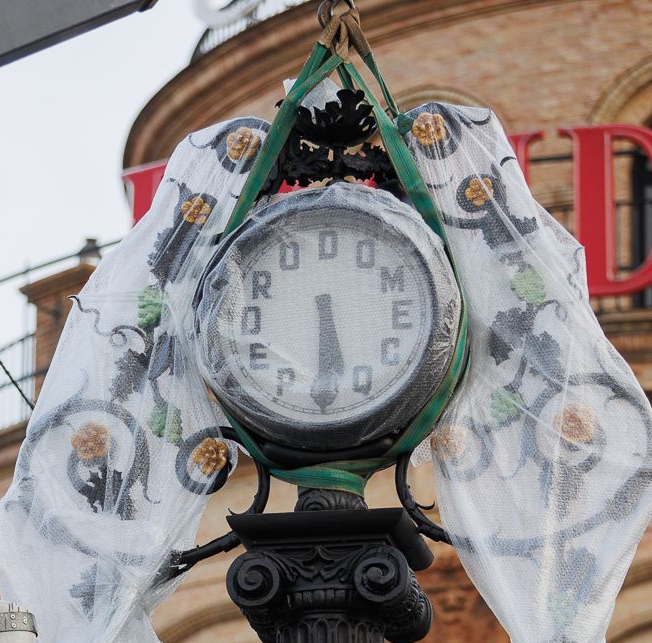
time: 5:29
